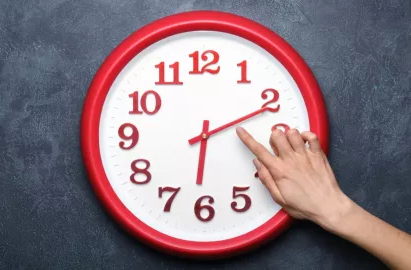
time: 6:10
